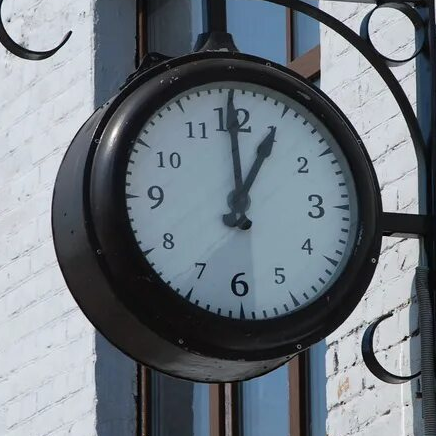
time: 12:59
